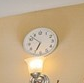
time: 6:52
